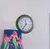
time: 11:35
